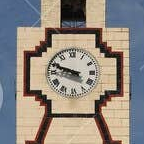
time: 9:48
